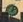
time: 2:02
